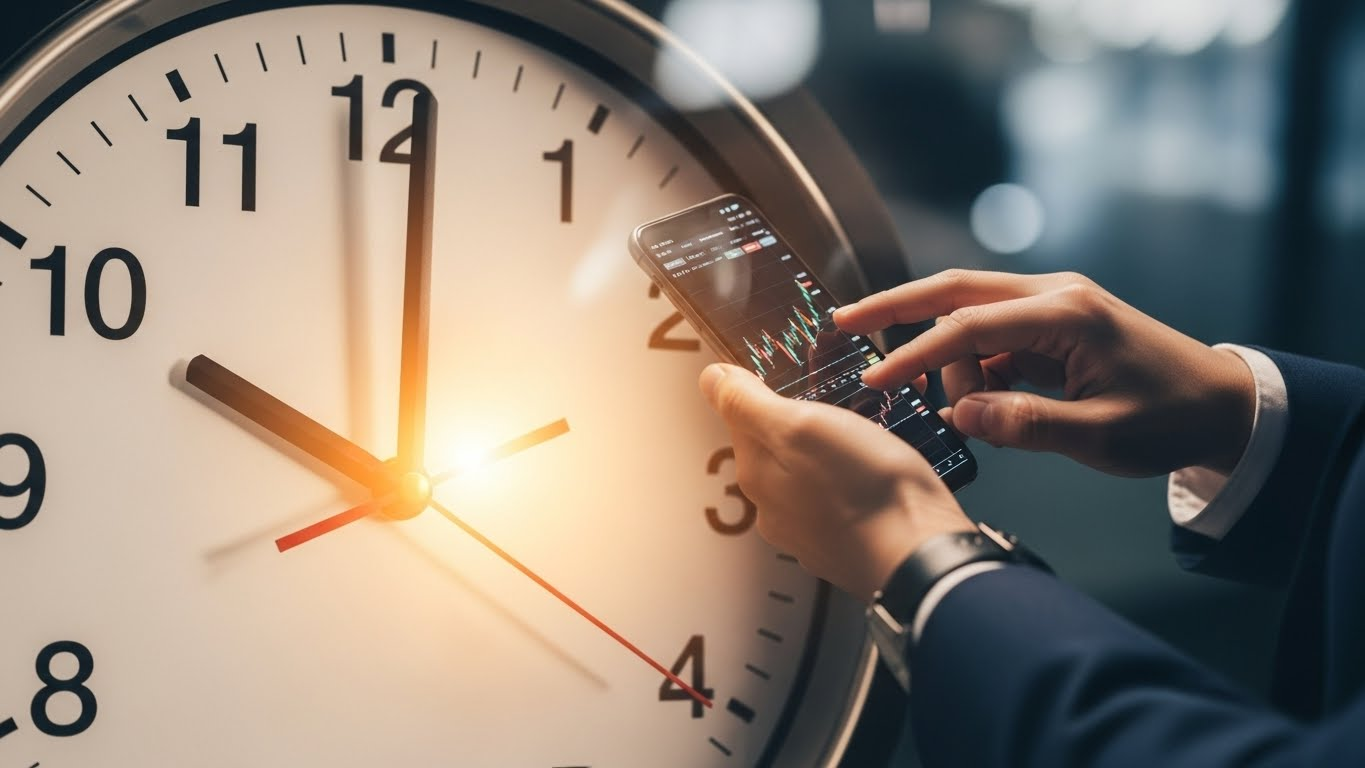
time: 10:00
